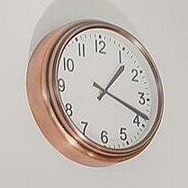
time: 1:18
